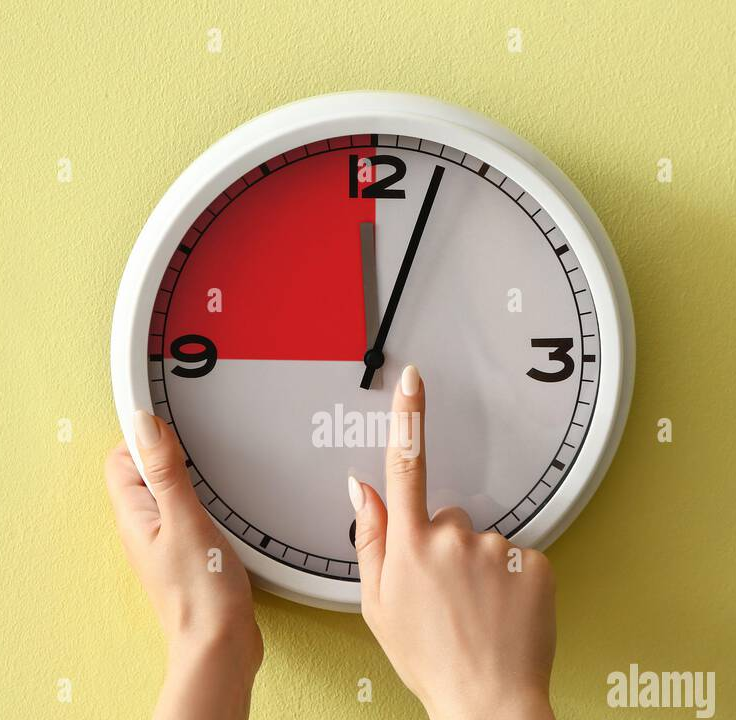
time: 12:03
